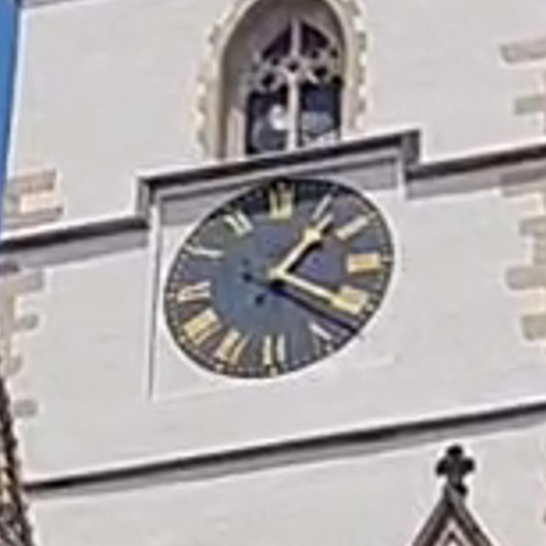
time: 1:20
